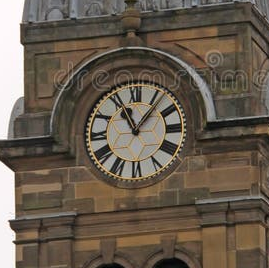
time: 11:06
